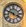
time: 3:48
